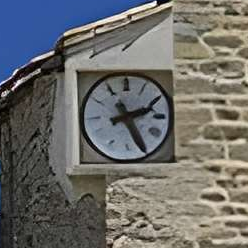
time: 2:25
